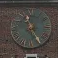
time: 11:25
